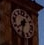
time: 7:32
